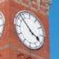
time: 3:52
